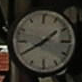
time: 1:40
